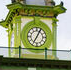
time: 7:04
